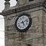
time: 5:11
